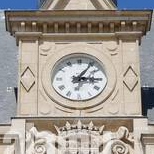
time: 3:05
